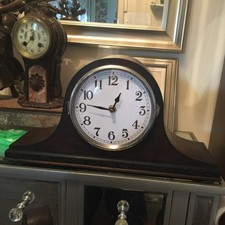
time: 12:46
